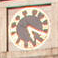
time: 5:18
